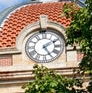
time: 5:09
